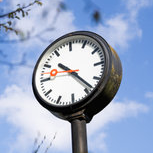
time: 10:22
